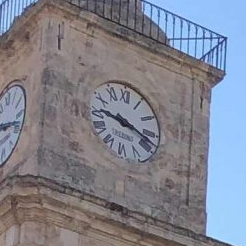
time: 9:18
